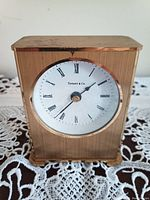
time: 1:36
